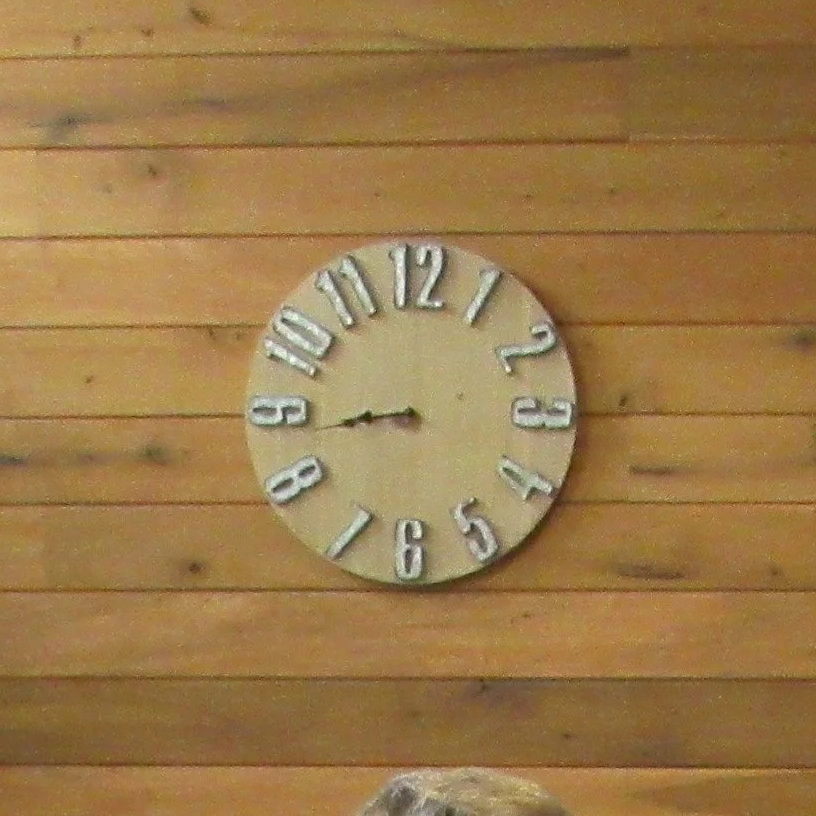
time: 8:43
